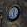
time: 12:26
